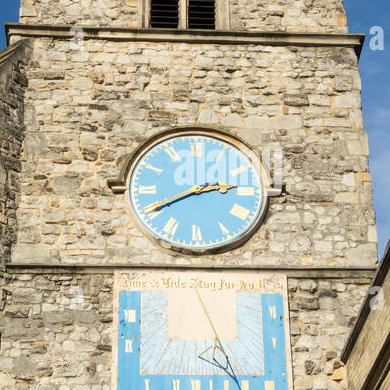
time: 2:40
